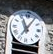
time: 11:05
